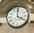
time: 4:00
